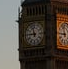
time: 8:57
